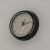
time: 1:12
